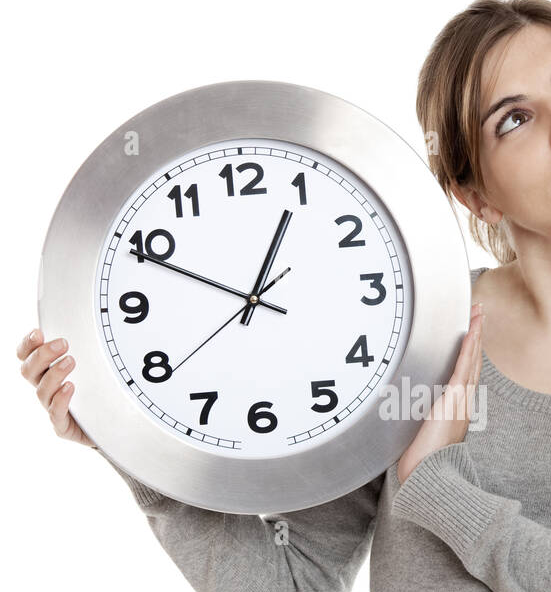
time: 12:49
